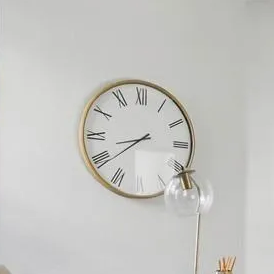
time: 8:38
